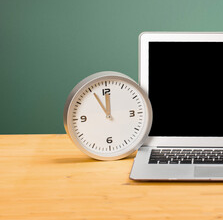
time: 11:55
